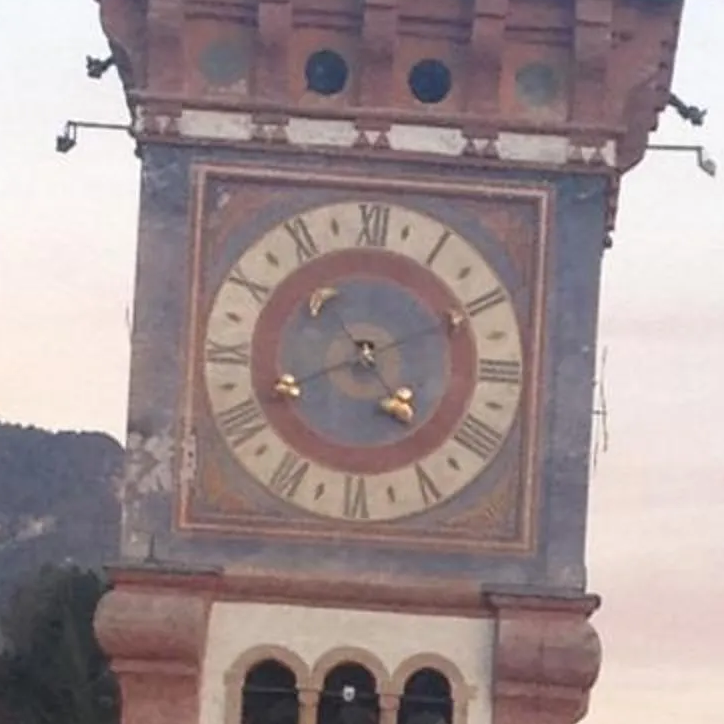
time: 4:40
